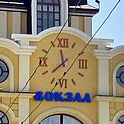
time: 11:37
